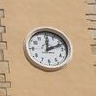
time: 12:11
